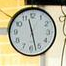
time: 11:27
